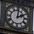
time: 2:01
